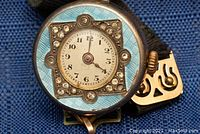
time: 4:01
